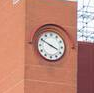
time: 3:49
